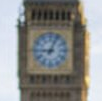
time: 9:03
